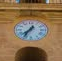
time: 7:35
